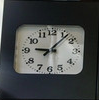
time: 9:07
